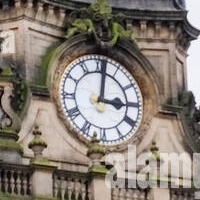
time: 3:01
